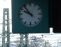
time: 9:53
